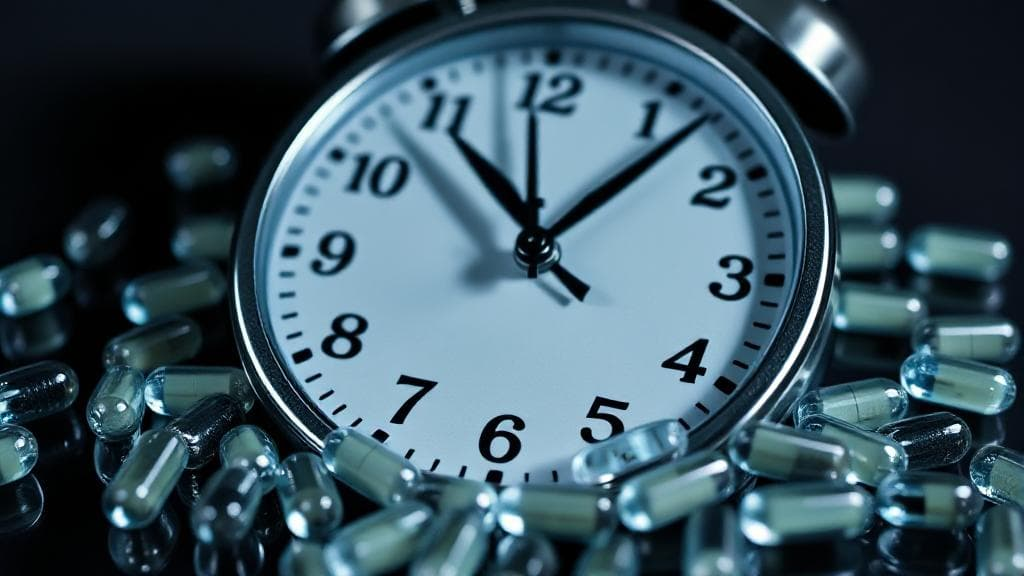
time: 11:07
